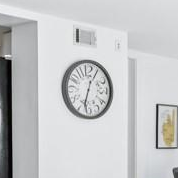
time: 12:32
